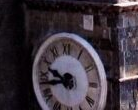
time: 9:43
